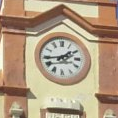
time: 1:43
